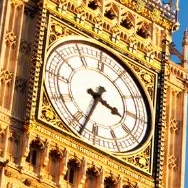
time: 3:33
